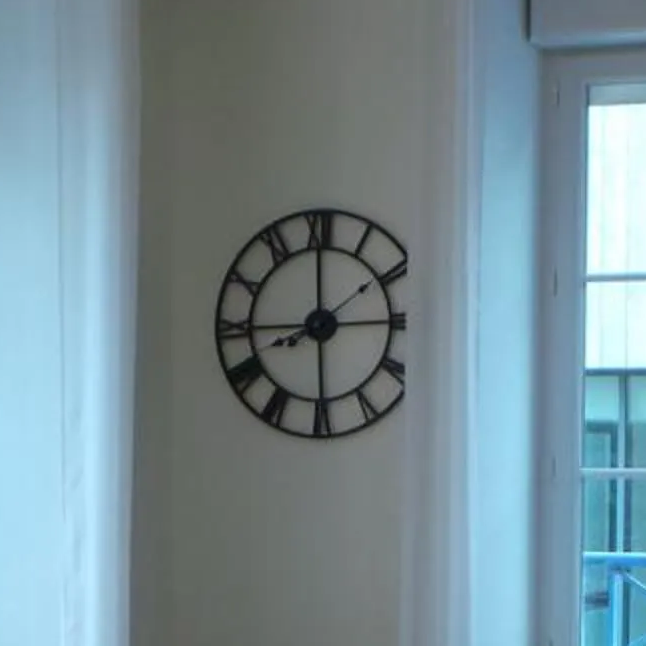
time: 7:59
